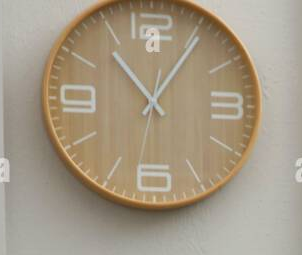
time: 11:05
